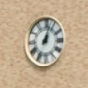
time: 1:02
